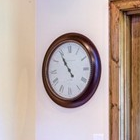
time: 10:54
